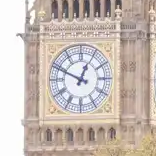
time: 12:49
